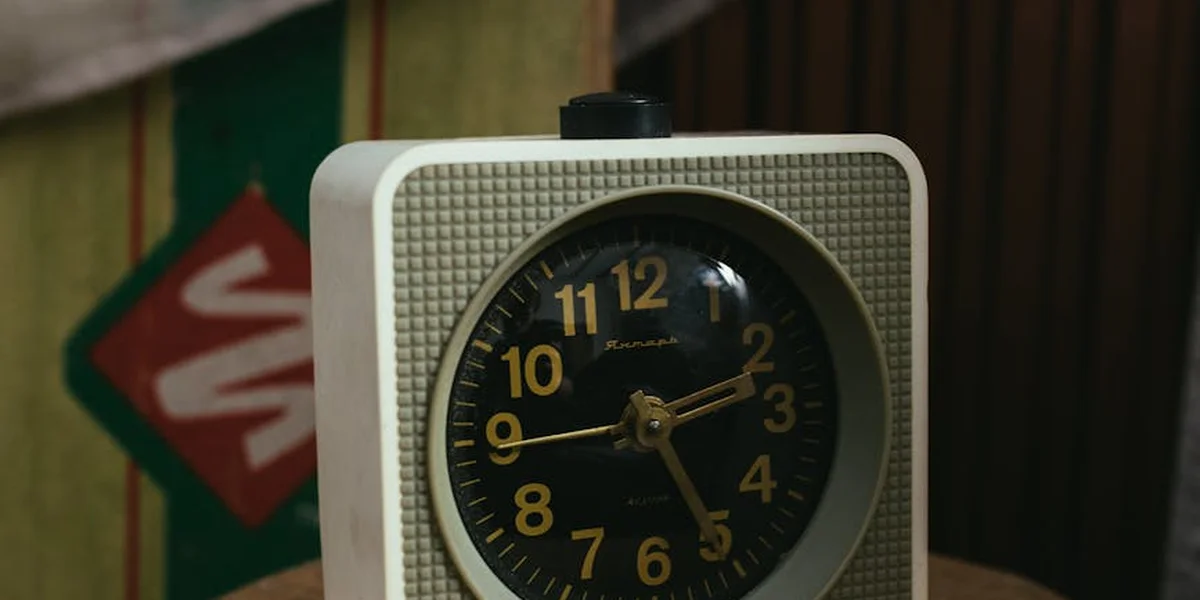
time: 2:25
